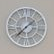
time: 1:37
